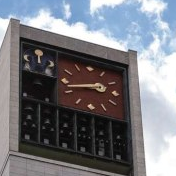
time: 2:42
